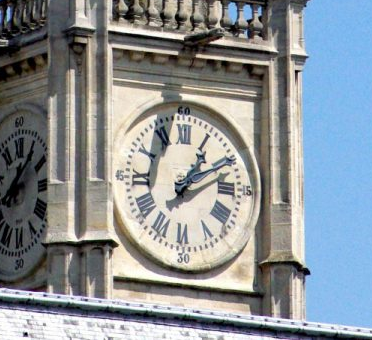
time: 1:09
